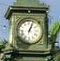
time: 1:03
